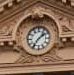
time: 1:36
